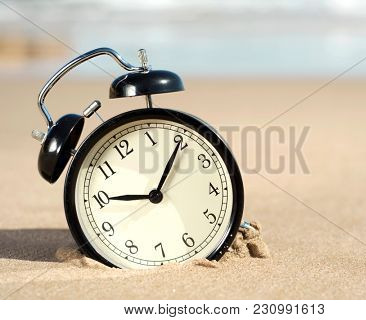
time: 9:05
